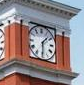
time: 1:29
